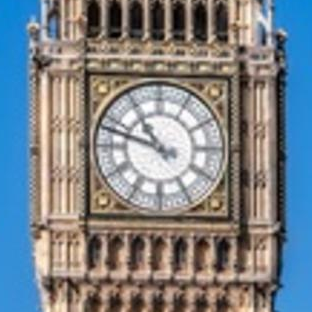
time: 10:47
